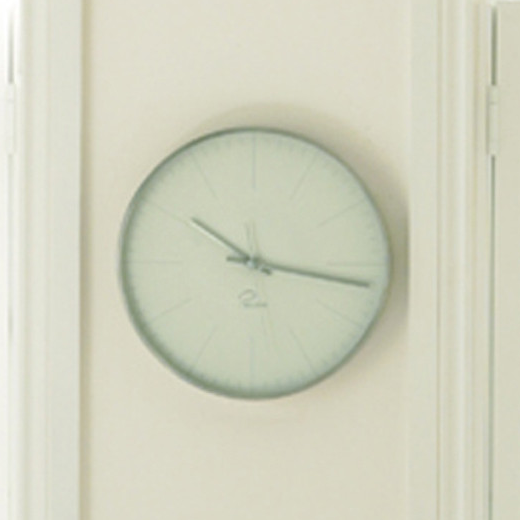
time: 10:16
